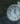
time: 12:23
